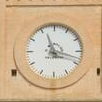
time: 11:17
